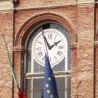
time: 1:55
